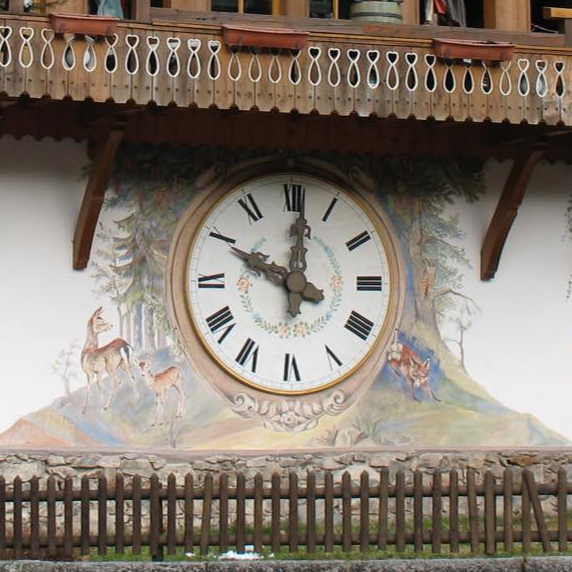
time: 10:01
